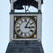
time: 3:04
